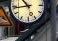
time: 10:43
